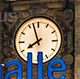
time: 7:57
